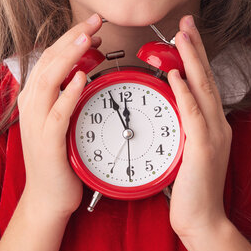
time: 11:56
